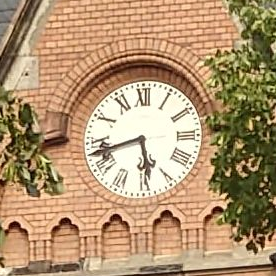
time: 5:42
